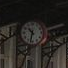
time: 10:32
